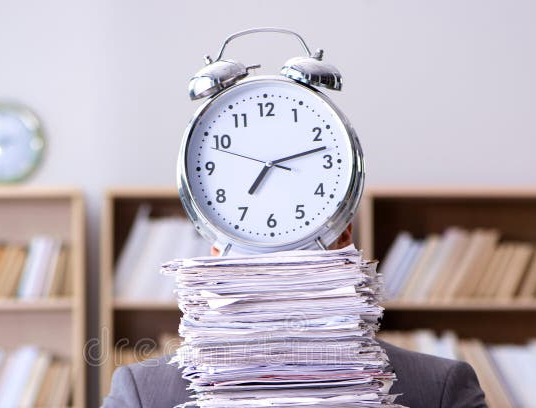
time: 7:12
